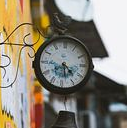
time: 4:28
